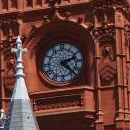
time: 2:22
